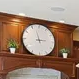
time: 2:57
